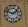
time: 1:47
